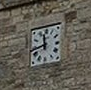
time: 11:42
